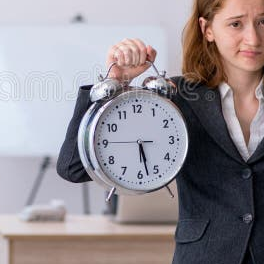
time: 5:27
